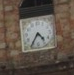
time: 4:35
